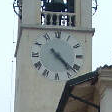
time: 4:22
